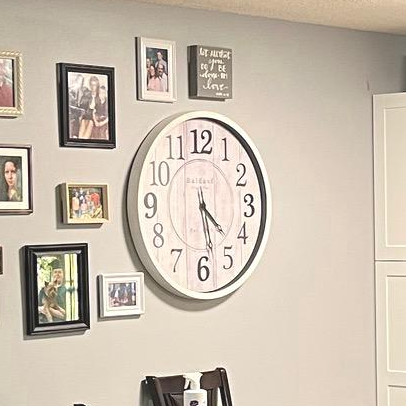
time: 4:28
